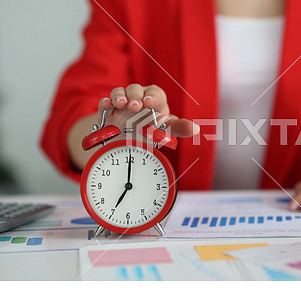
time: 7:00
